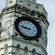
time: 8:46
